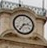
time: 2:35
